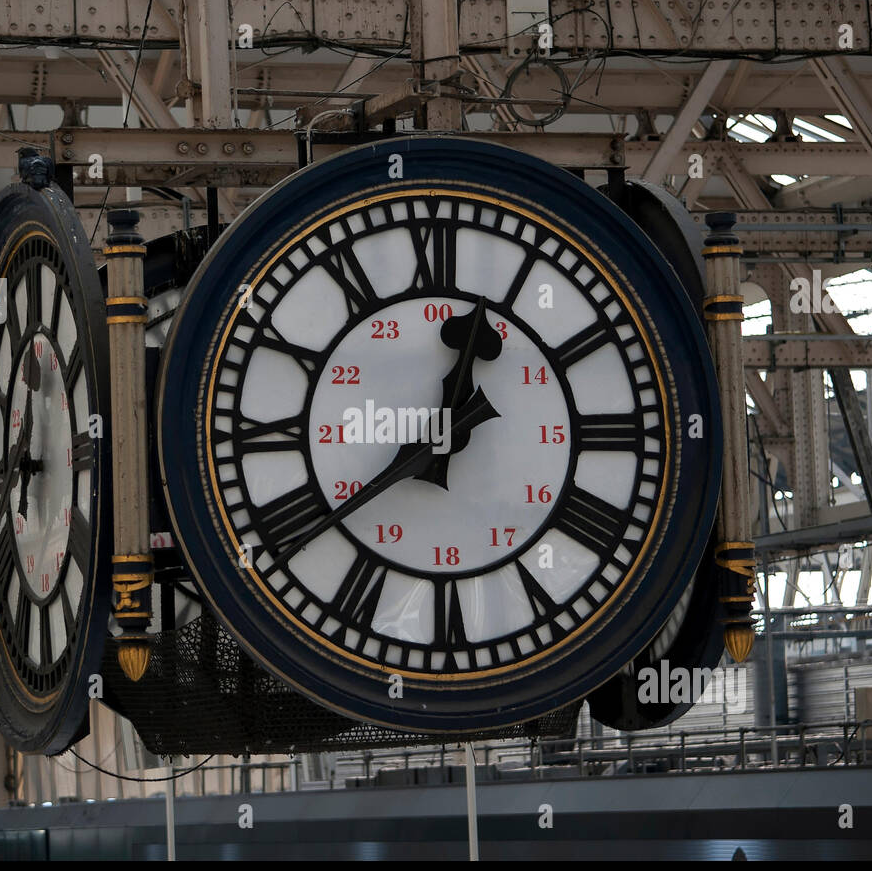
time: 12:38
